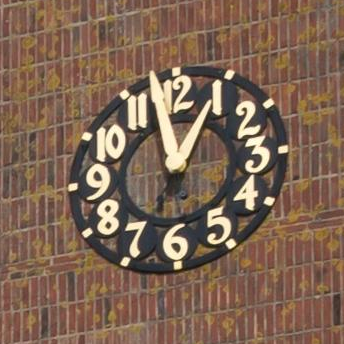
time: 12:57
